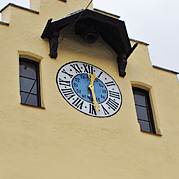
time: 12:28
